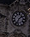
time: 1:33
